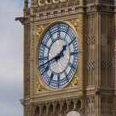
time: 1:42
